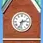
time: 2:32
